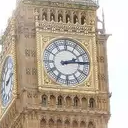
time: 2:14
